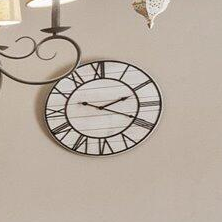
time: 2:19
